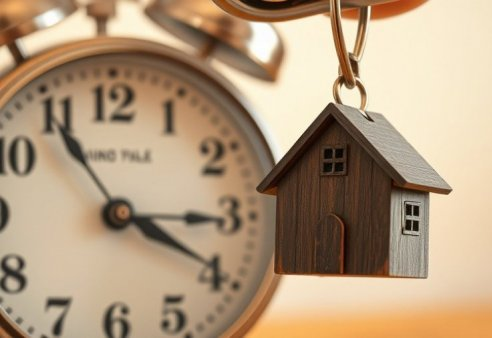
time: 3:54
